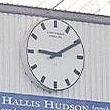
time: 9:10
